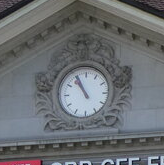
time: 10:55
